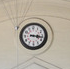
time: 3:16
